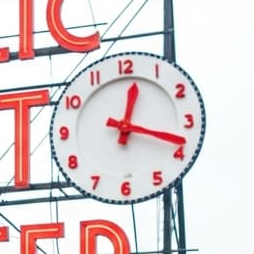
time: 12:18
